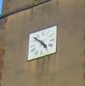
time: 4:52
